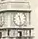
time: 11:28
